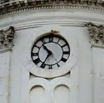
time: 10:35
